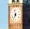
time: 11:35
